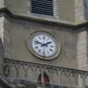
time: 1:47
